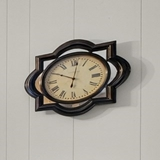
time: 10:02
